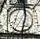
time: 6:32
